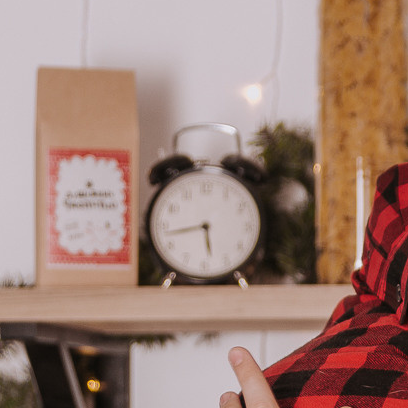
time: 5:43
